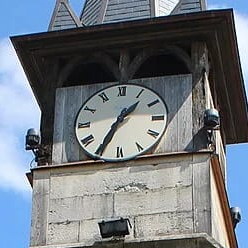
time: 1:34
